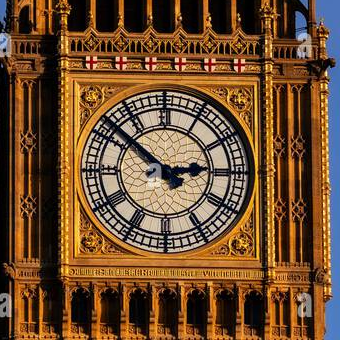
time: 2:51
